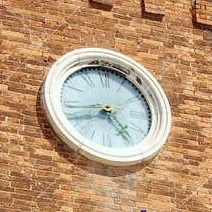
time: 4:42
